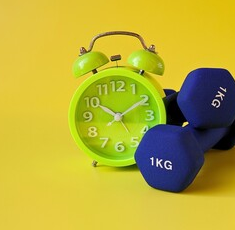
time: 10:09
